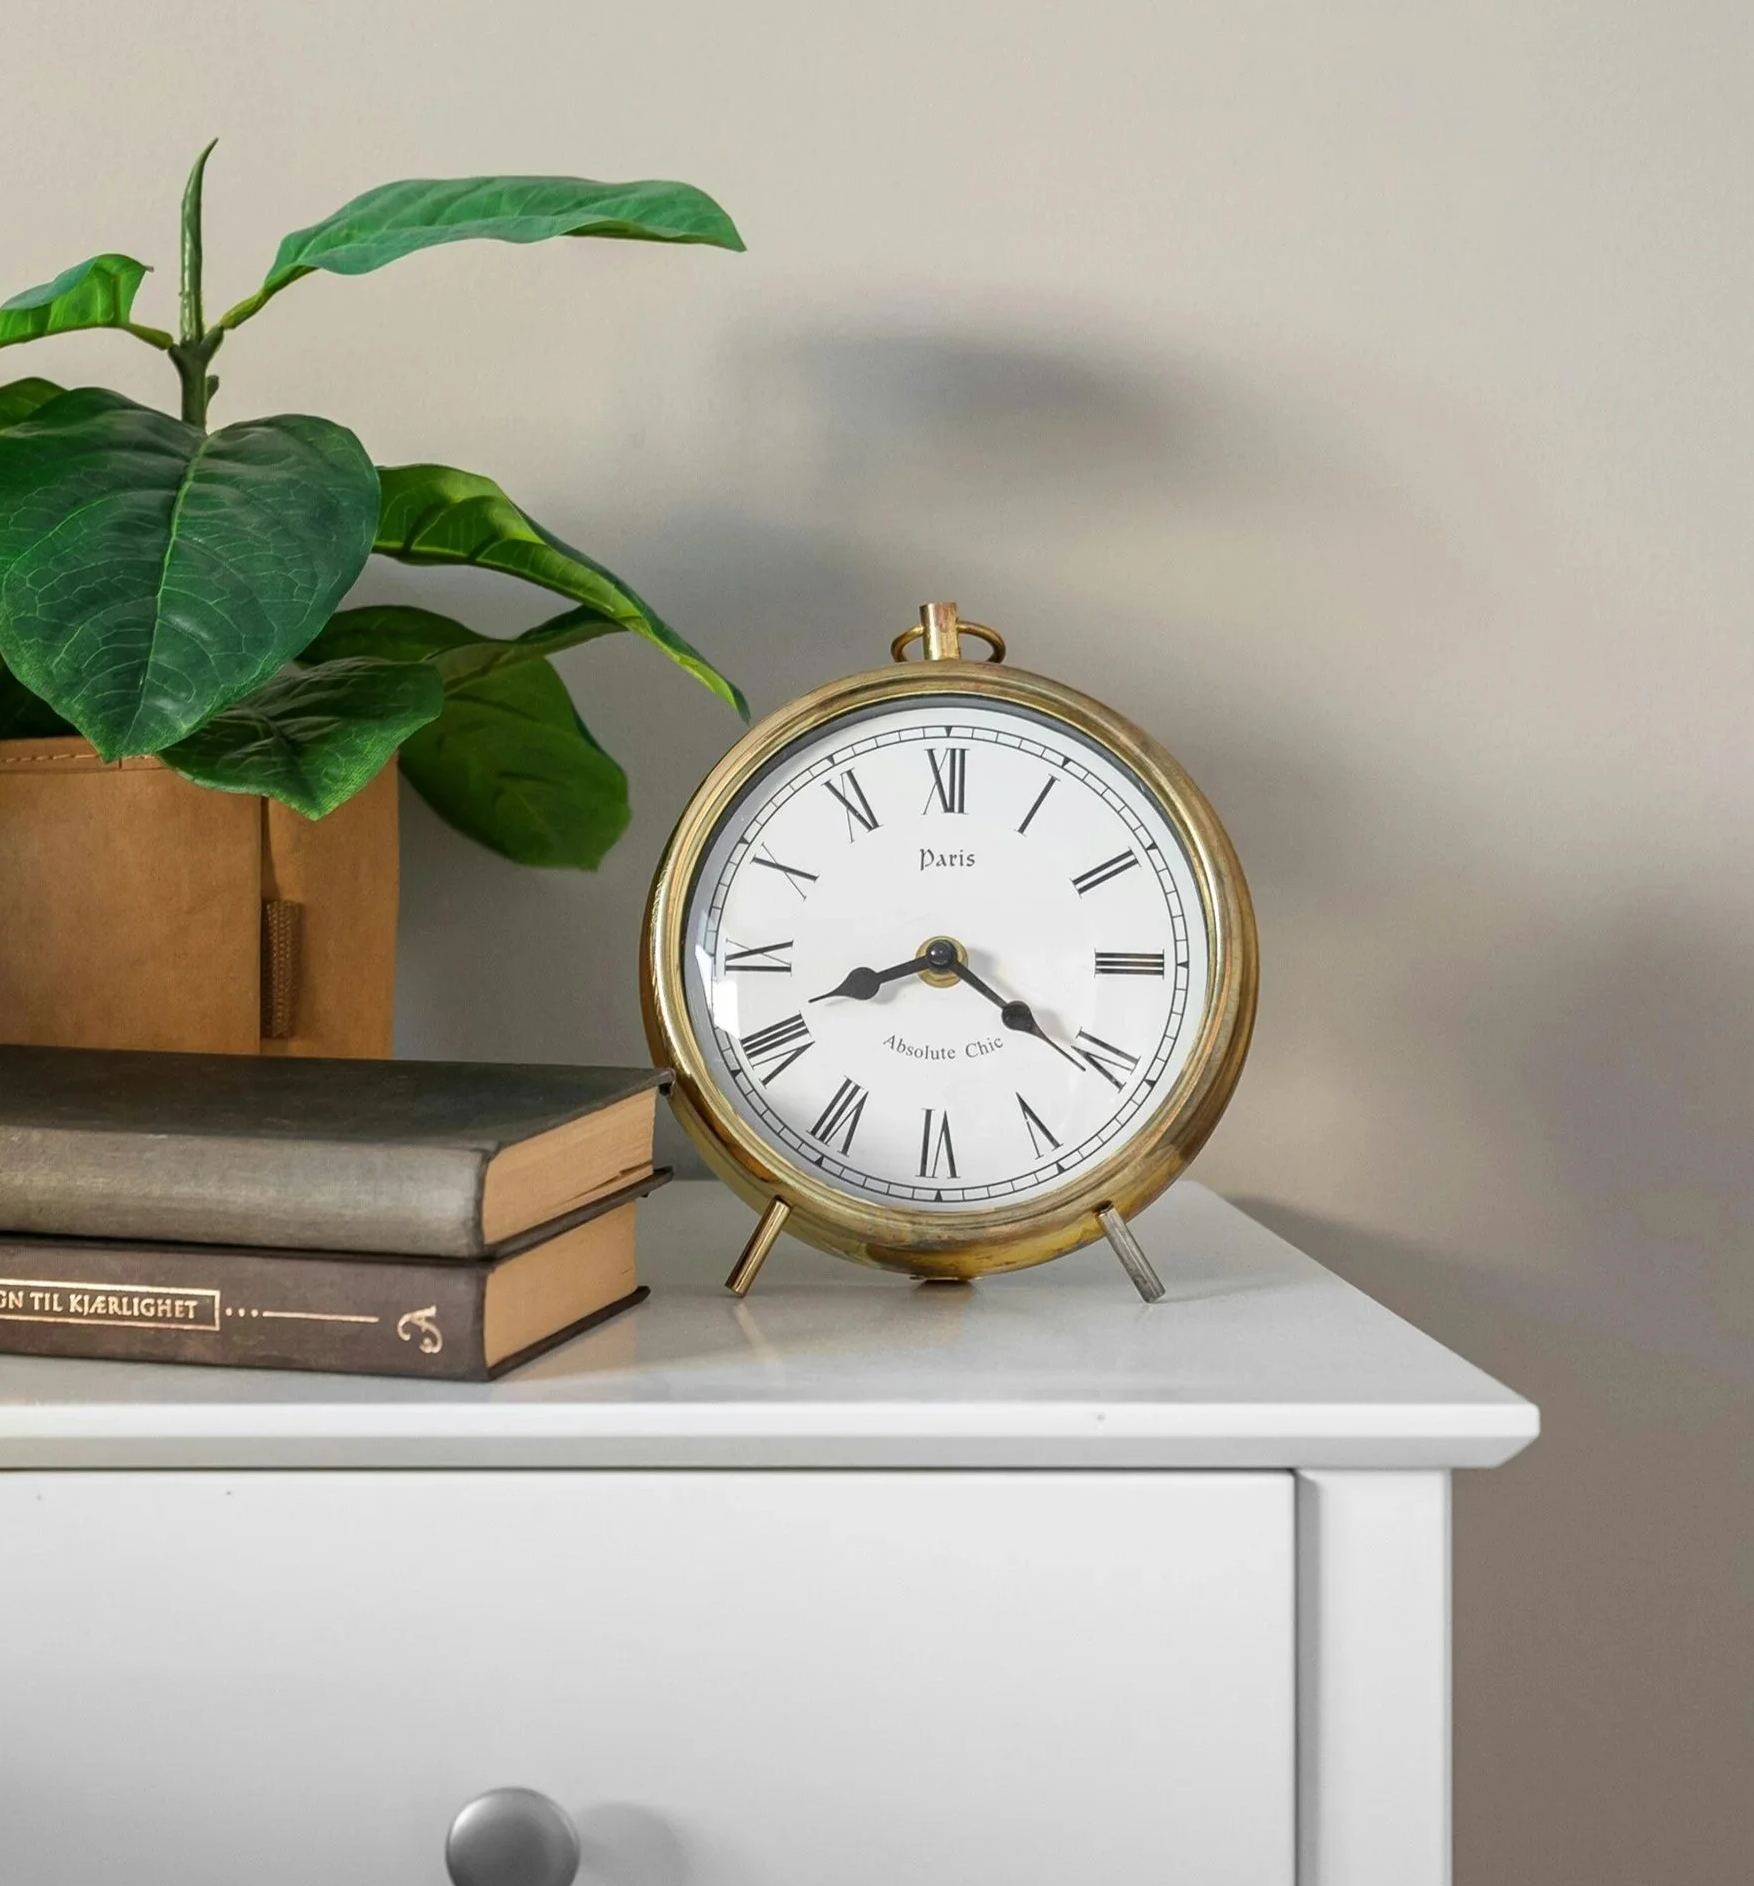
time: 8:20
